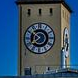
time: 7:52
